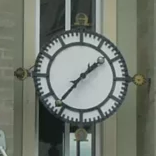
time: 1:36
